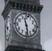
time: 11:28
